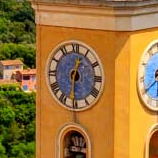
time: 12:30
